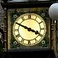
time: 3:49
